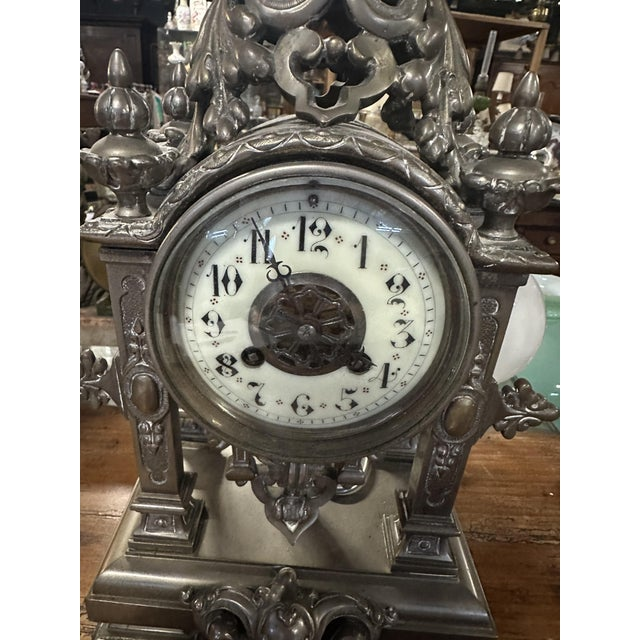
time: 3:54
